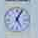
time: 5:04
